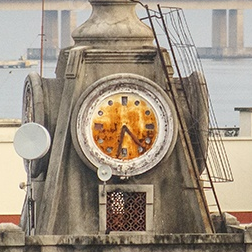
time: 6:23
